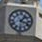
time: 1:18
